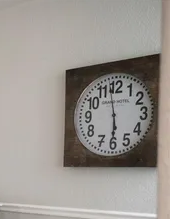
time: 5:58
